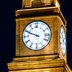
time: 9:48
